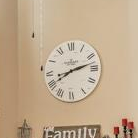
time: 8:12
